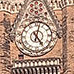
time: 5:02
